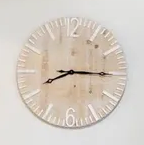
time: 8:15
